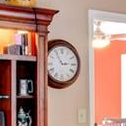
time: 2:54
